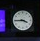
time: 3:44
